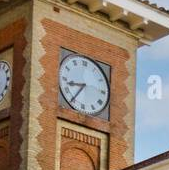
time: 8:35
